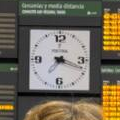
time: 7:18
